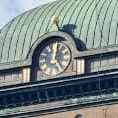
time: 12:24
